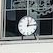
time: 12:14
